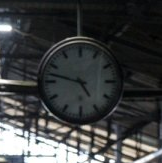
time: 4:47
